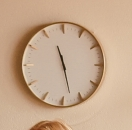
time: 11:27
